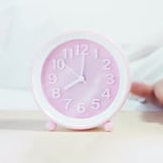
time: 8:00
